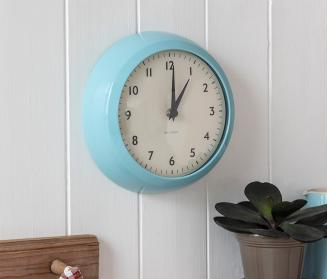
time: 1:00
